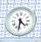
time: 4:31
